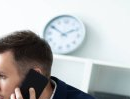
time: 1:50
